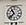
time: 10:37
